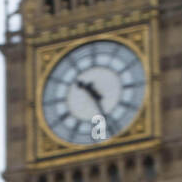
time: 10:26
